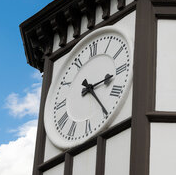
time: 3:24
